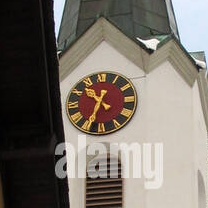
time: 10:34
